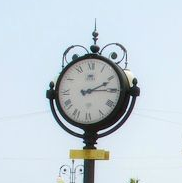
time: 2:14
